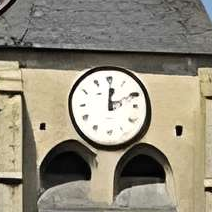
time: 12:10
